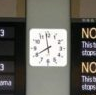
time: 7:58
